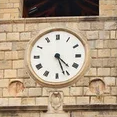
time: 4:26
